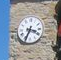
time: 3:34
